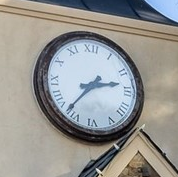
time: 2:36
